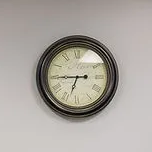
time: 6:45
